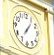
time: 7:06
